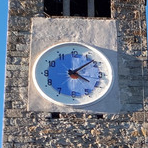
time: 4:08
